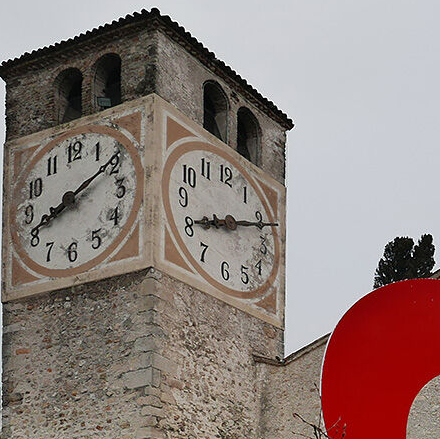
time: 8:11
